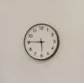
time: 5:45
